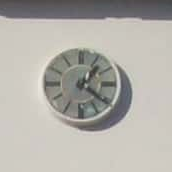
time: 1:21
